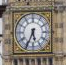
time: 5:34
